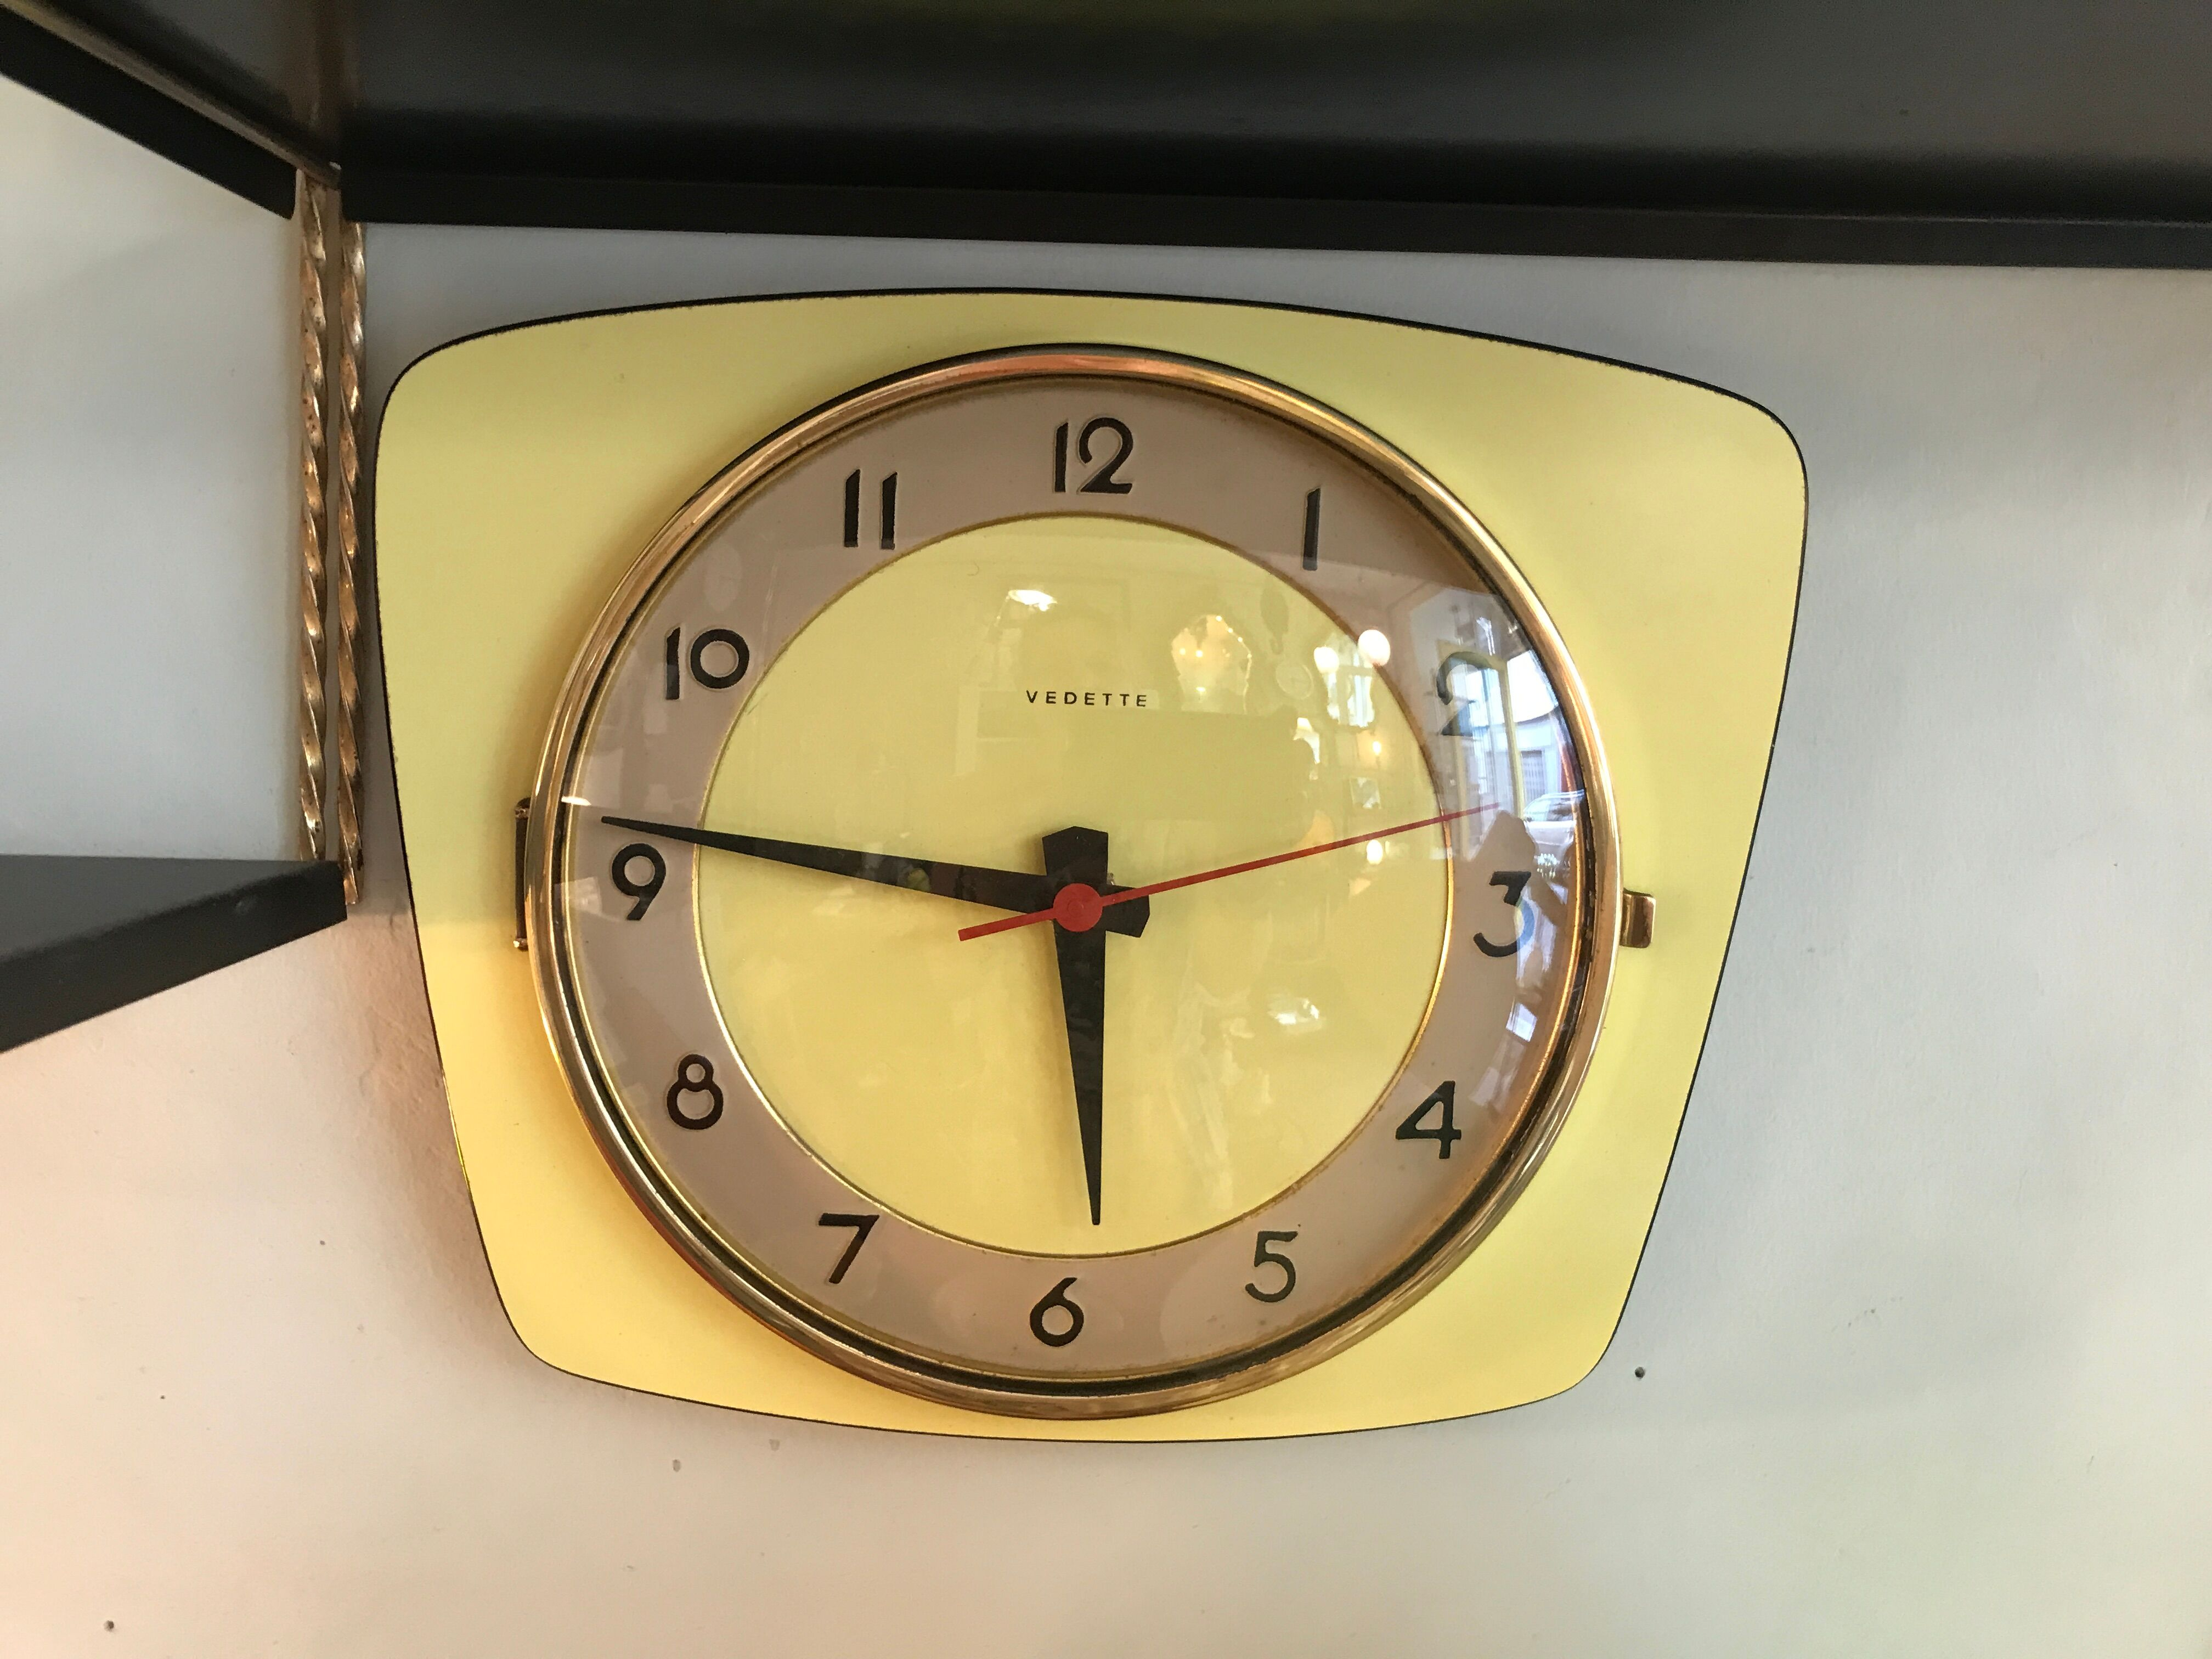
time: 5:46
